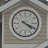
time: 4:19
